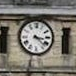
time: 3:22
